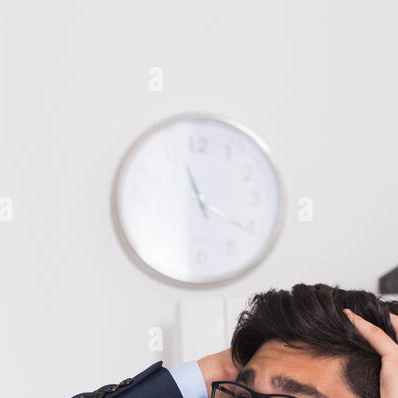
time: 11:20
